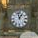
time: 12:57
